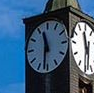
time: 11:31
